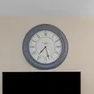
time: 7:27
